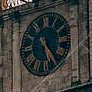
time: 5:24
